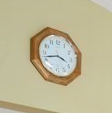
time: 3:42
